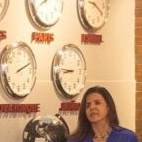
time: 8:46
